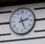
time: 2:26
